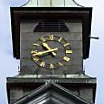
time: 10:41
